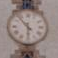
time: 5:53
